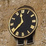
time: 11:37
